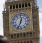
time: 12:33
